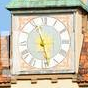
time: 11:28
